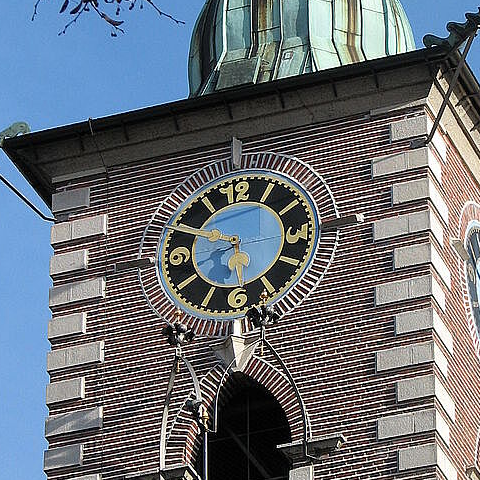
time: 5:49
